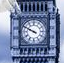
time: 9:49
